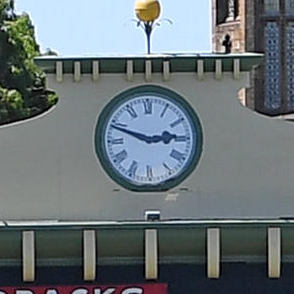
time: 2:48
